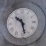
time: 10:28
